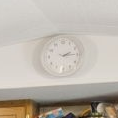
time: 2:14
